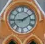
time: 9:09
